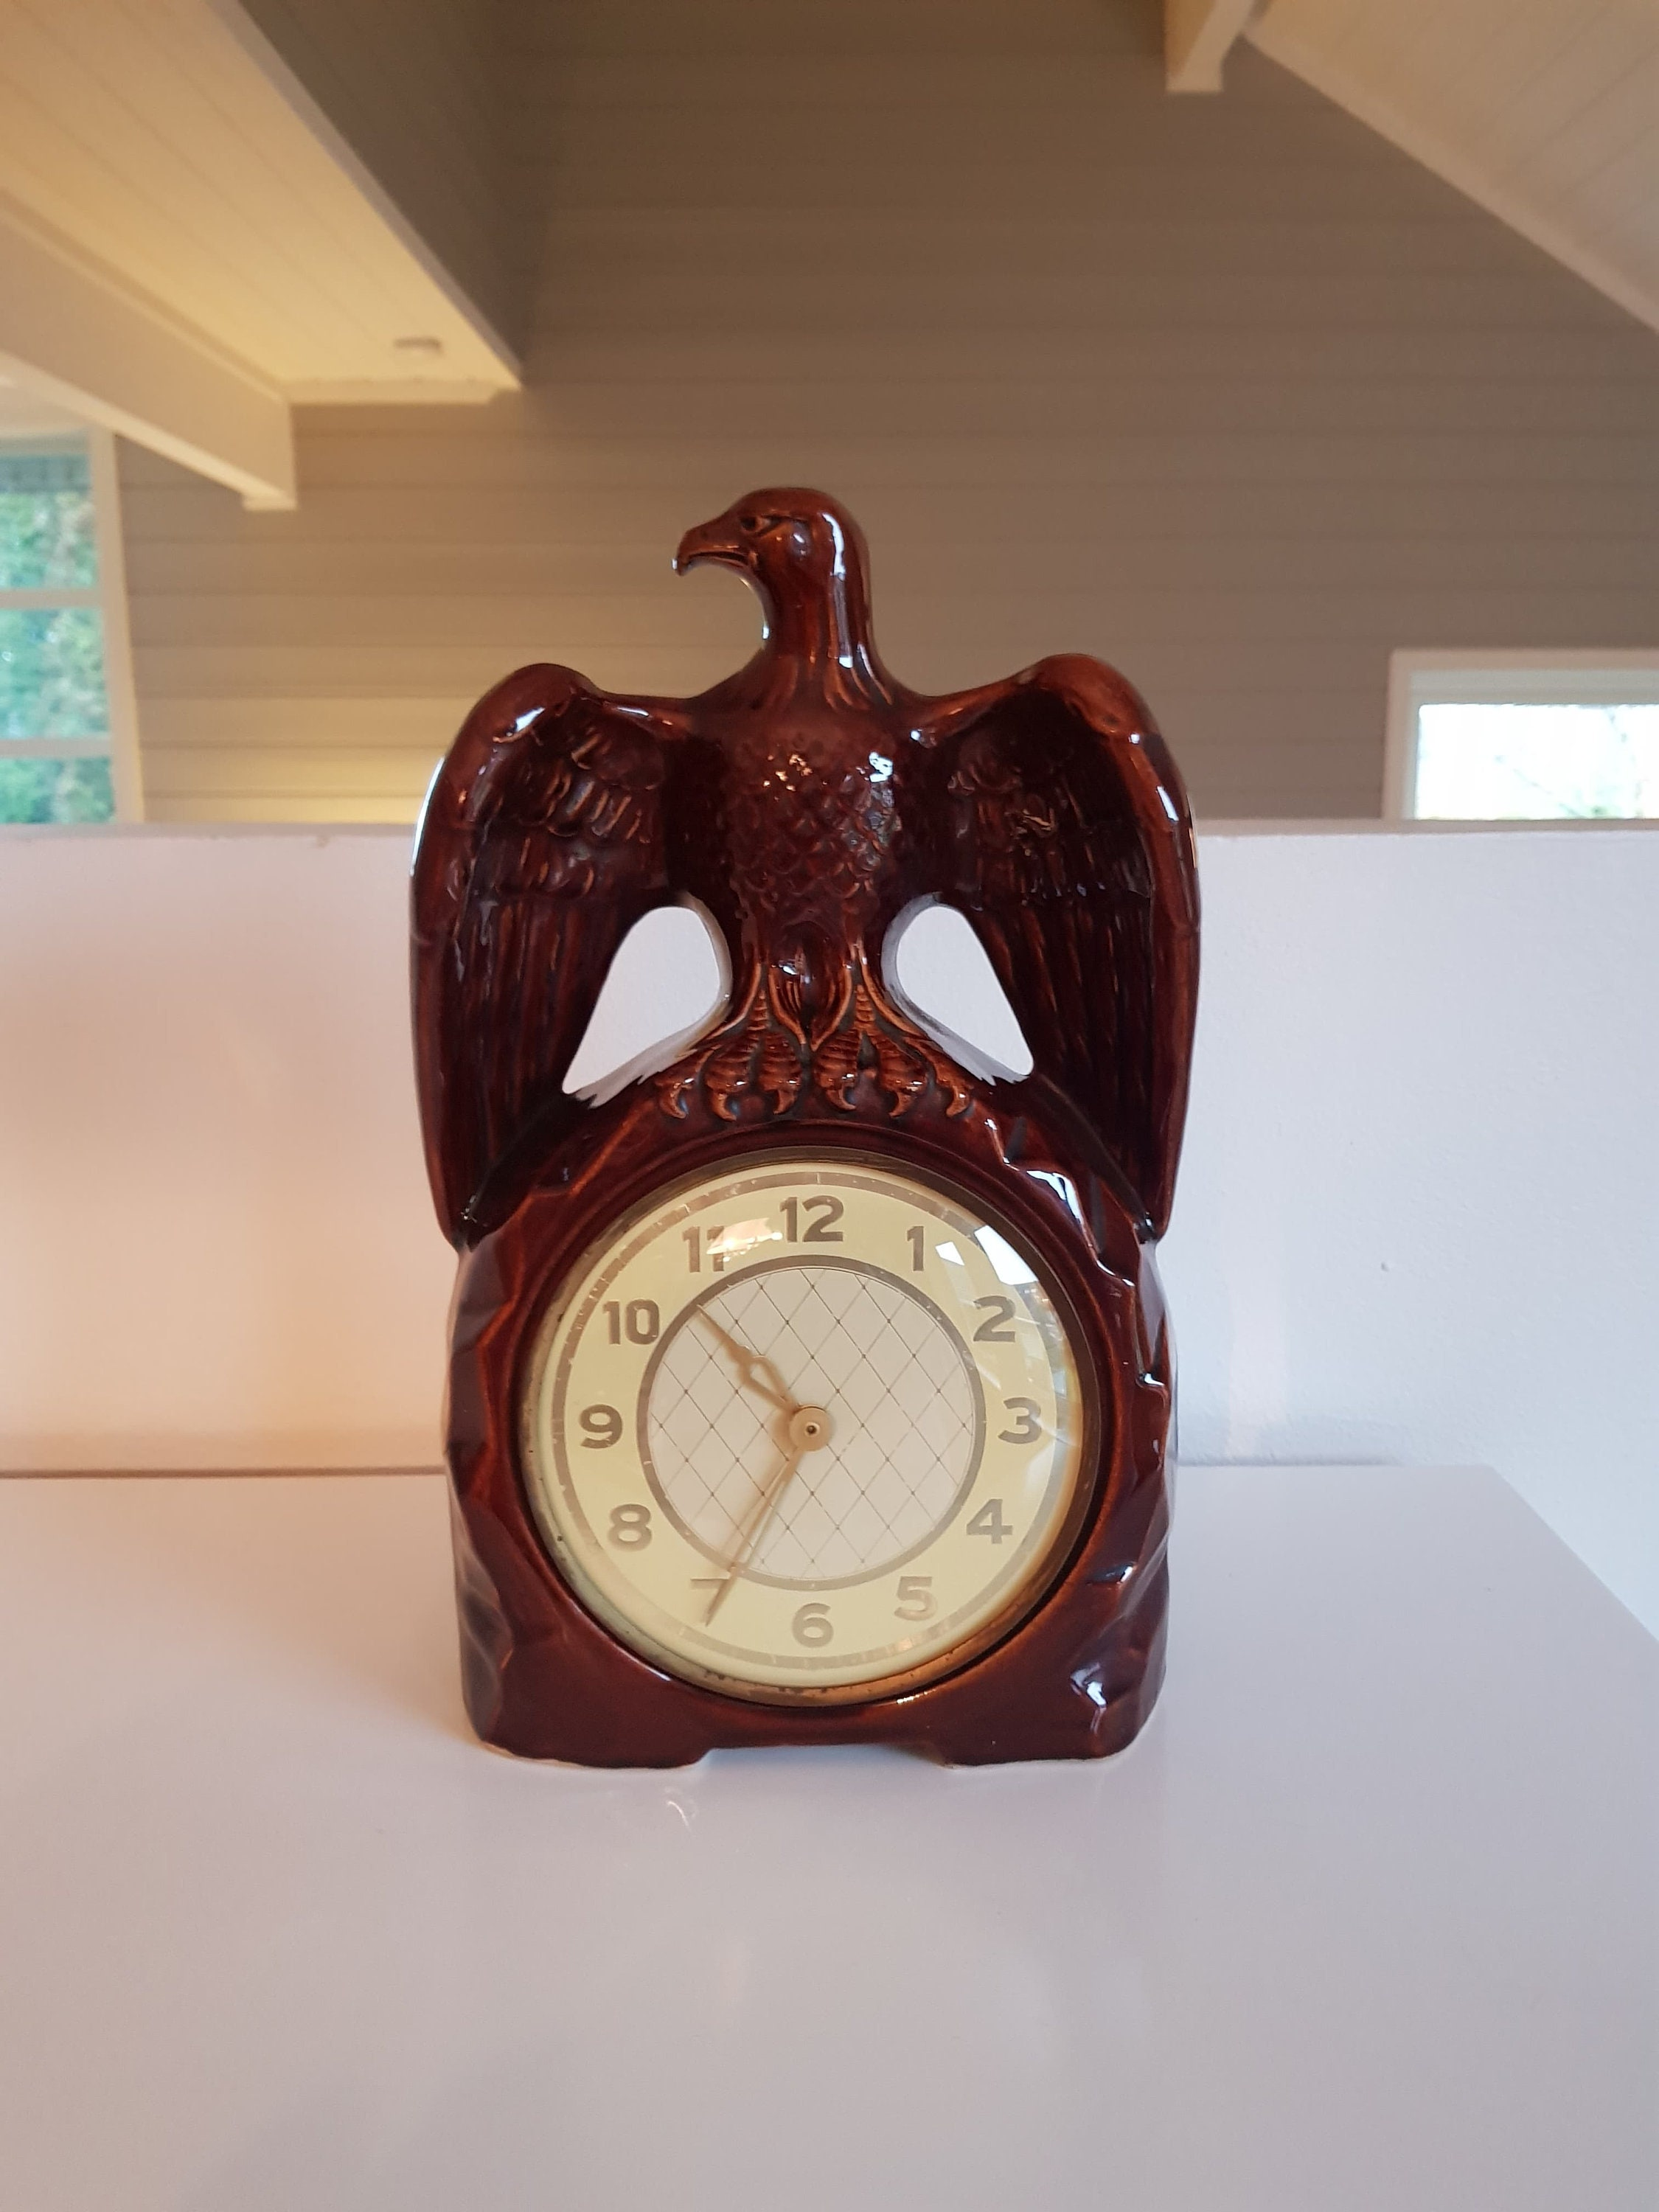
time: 10:34
